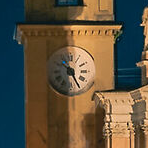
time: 10:25
